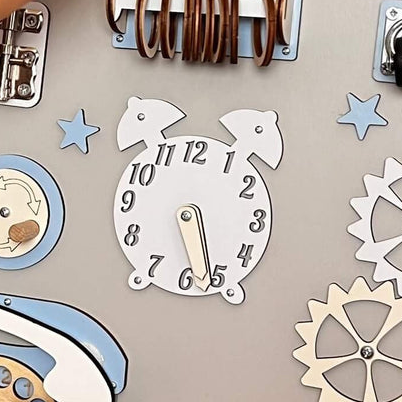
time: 5:26
